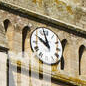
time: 9:57
